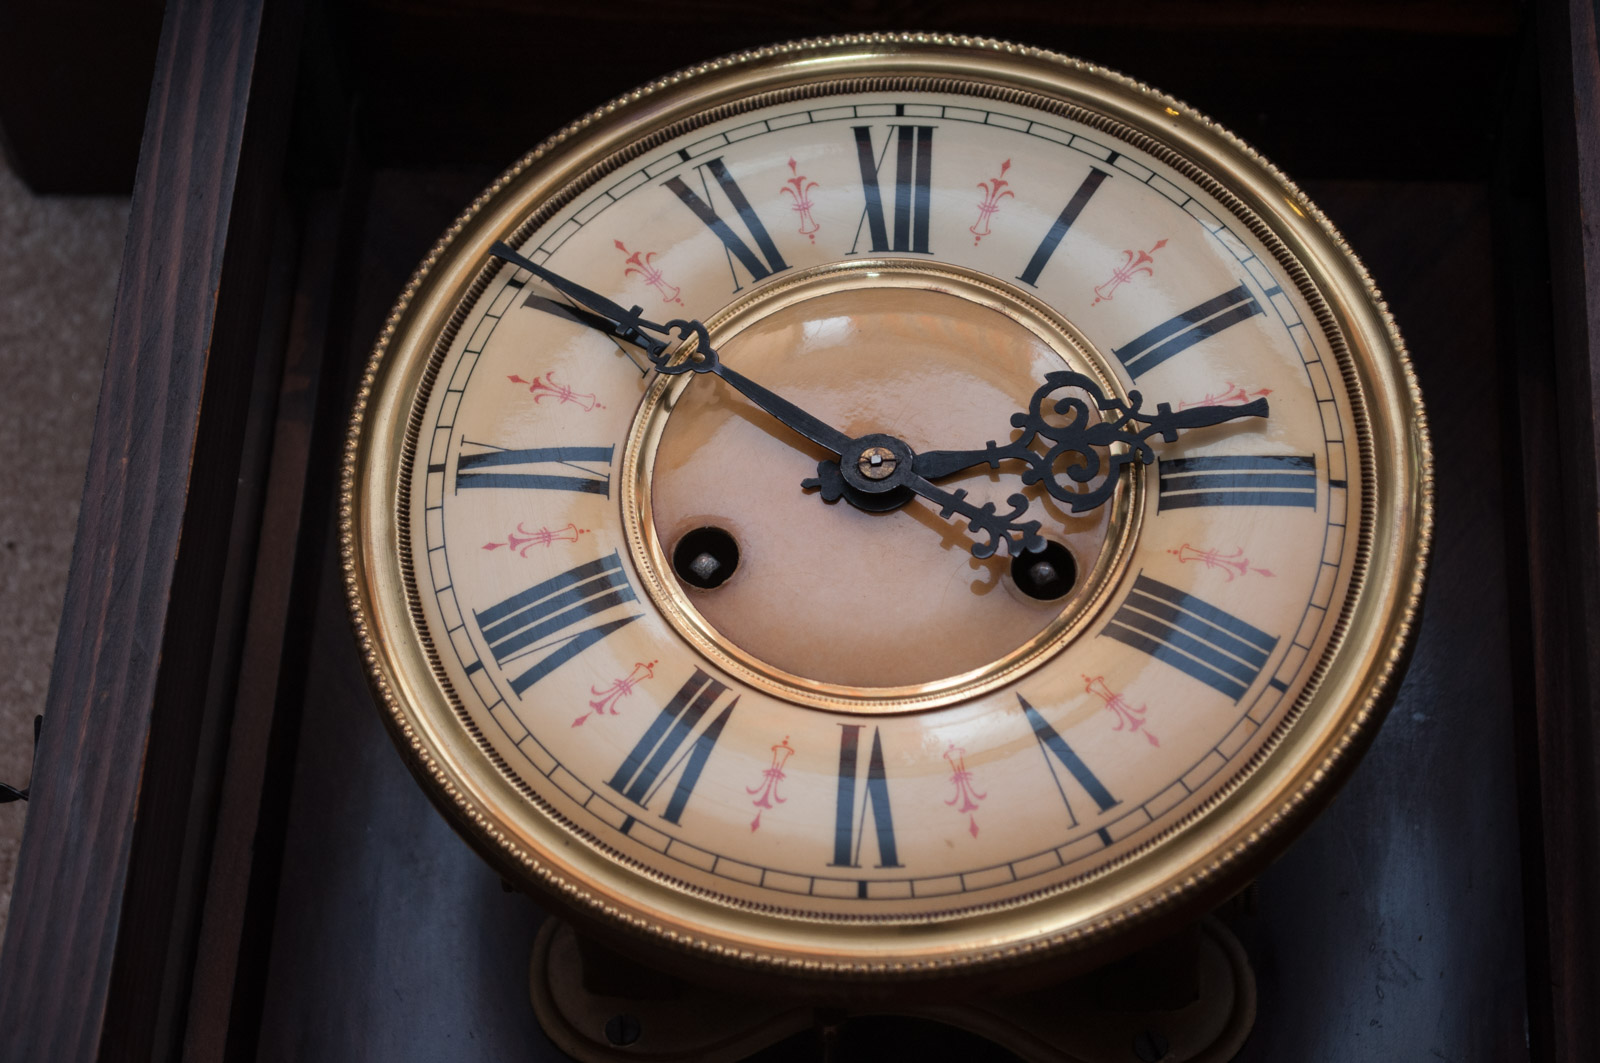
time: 2:50
